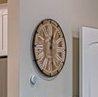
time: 12:28
